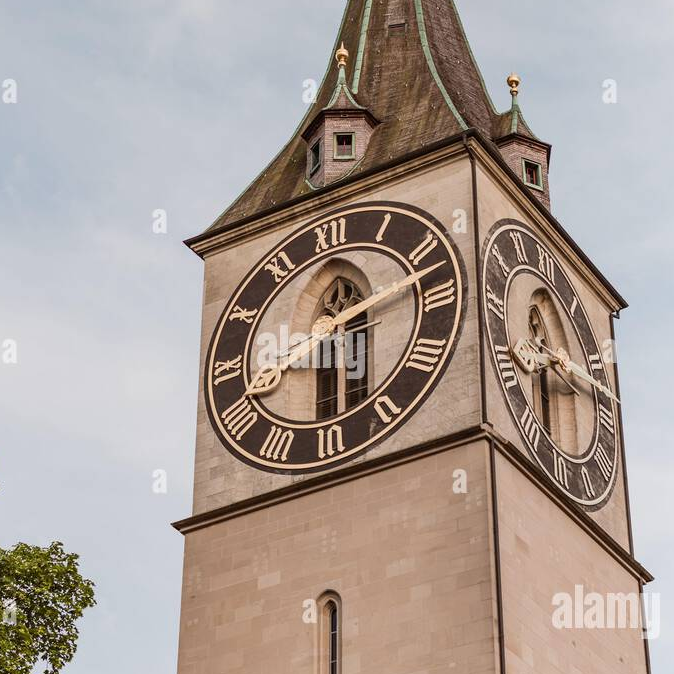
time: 12:29
